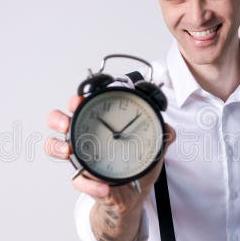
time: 10:07
